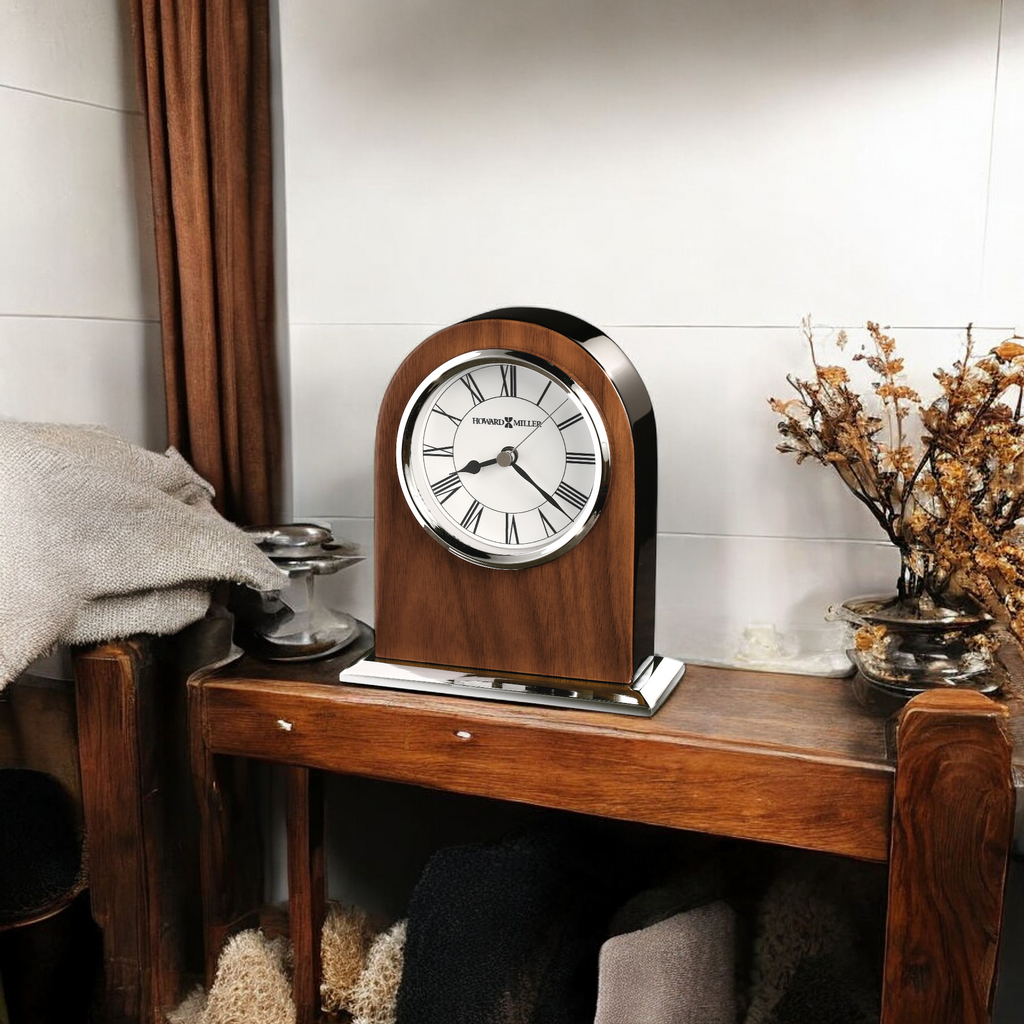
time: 8:21
